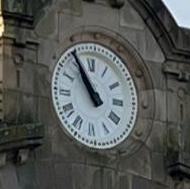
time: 10:54
